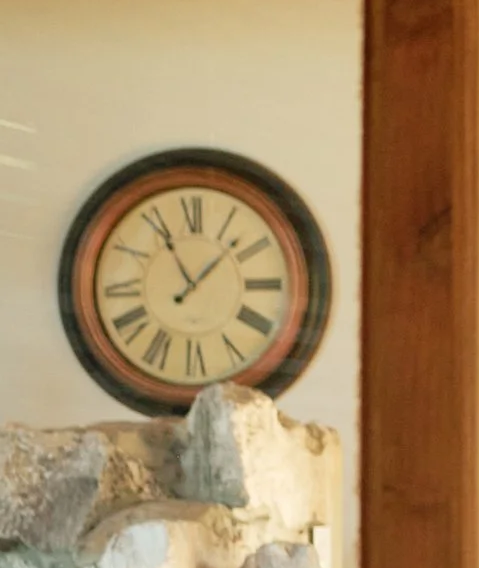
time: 11:07
